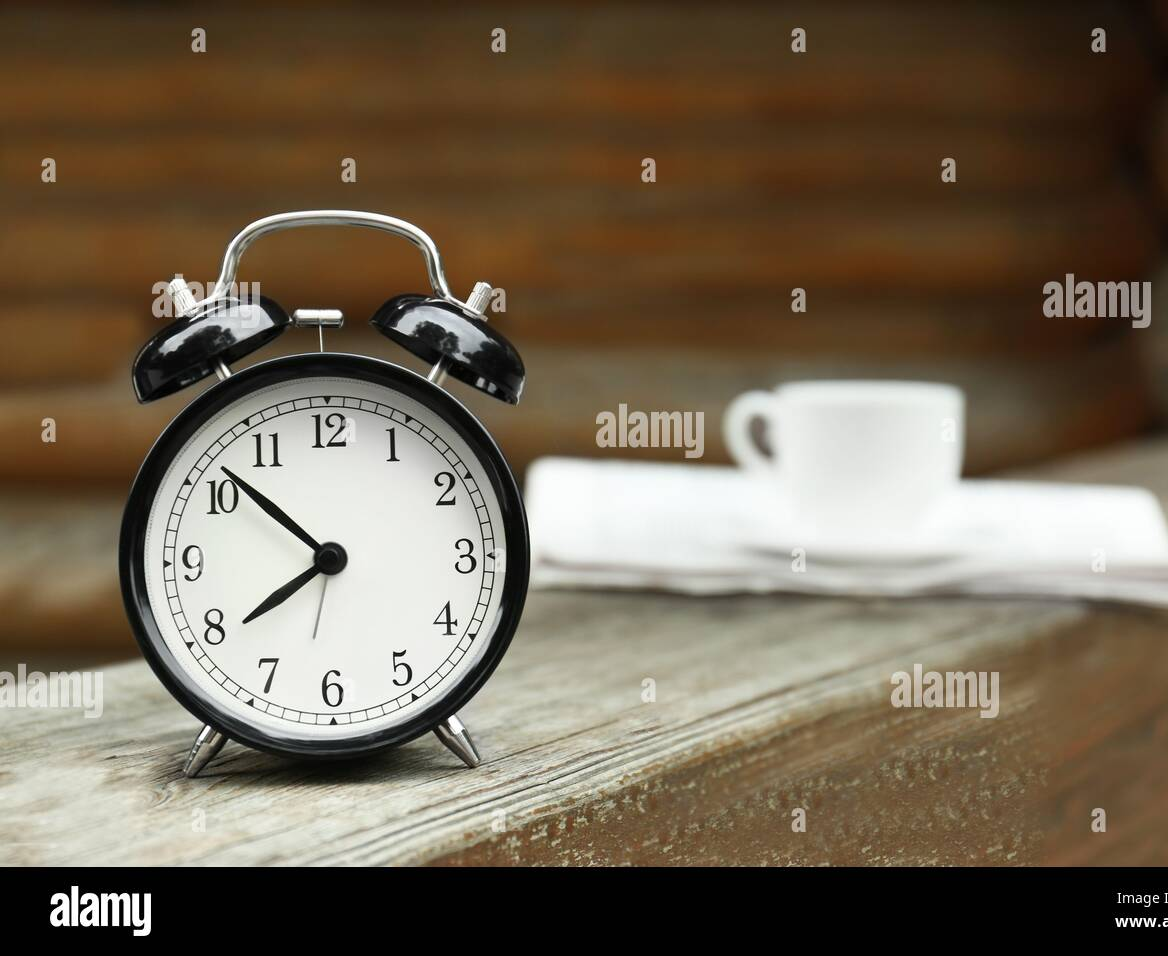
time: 7:52
